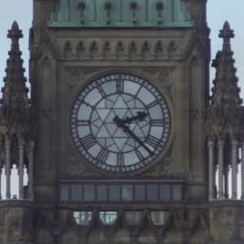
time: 2:22
